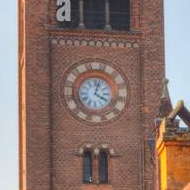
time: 4:02
